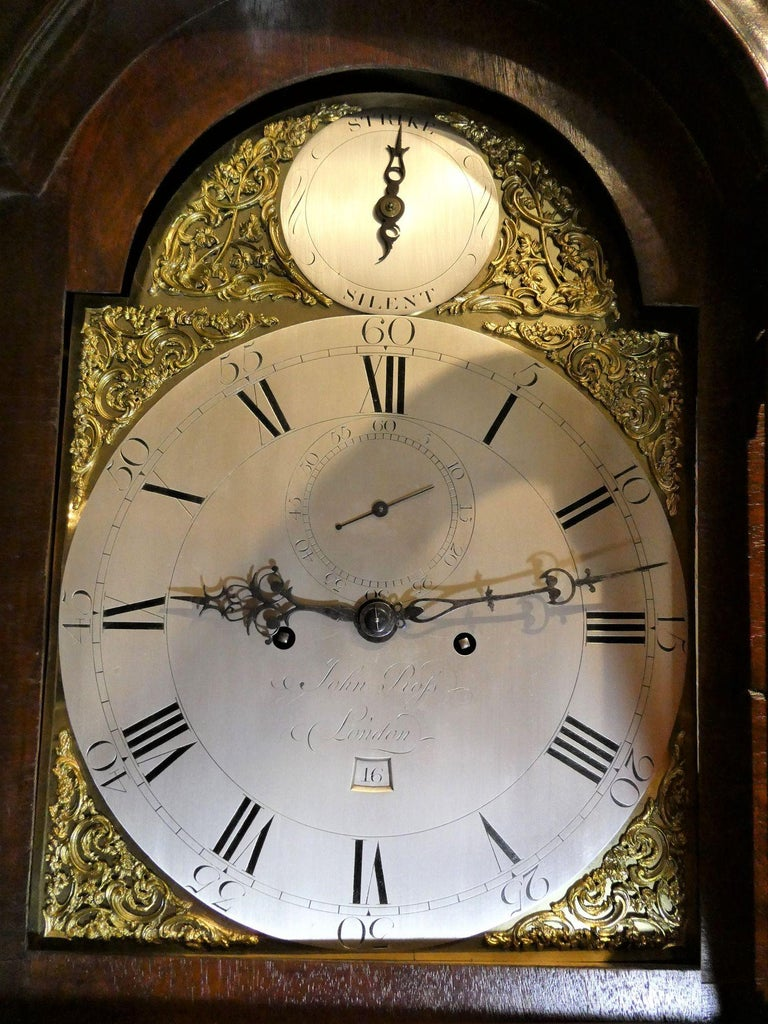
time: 9:13
